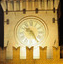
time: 10:24
